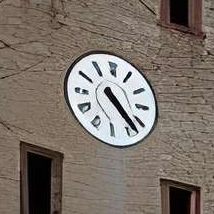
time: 4:22
